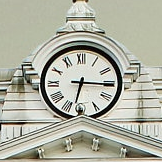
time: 6:15
